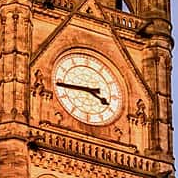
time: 3:44
